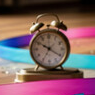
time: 10:20
